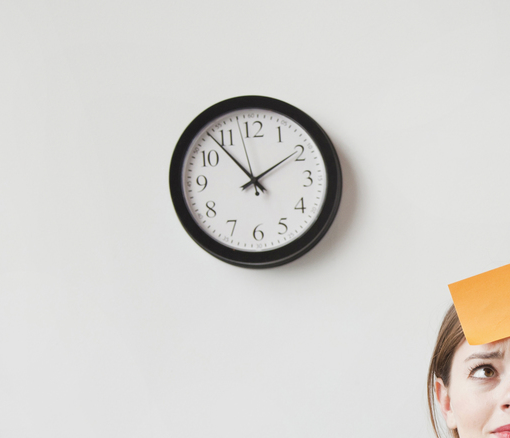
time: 1:53
